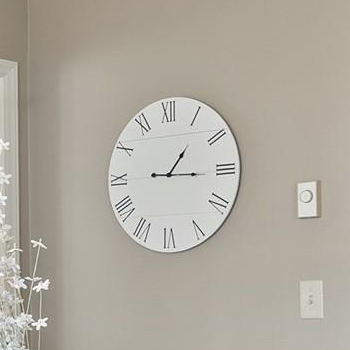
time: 1:15
